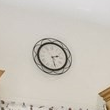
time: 2:27
